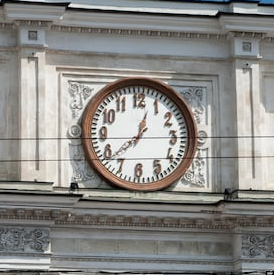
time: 12:38
